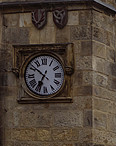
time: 6:51
